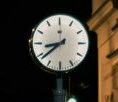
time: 8:38
